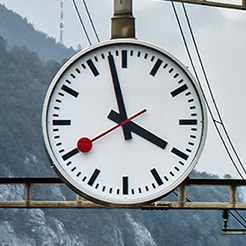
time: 3:58
